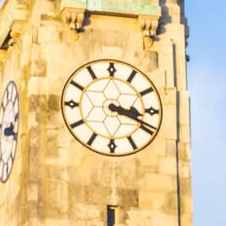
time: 3:18
